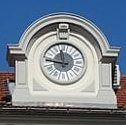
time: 11:46
